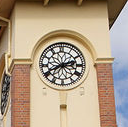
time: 2:40
